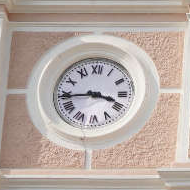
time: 3:43
